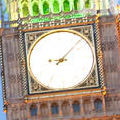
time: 9:07
